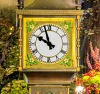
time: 9:57
